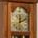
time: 12:11
